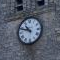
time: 10:48
